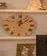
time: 12:07
